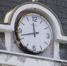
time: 11:42
